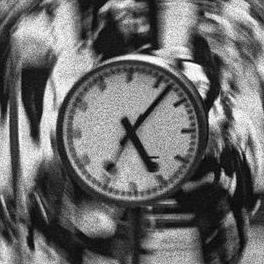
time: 5:06
